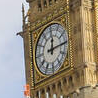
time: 12:14
